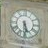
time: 5:30
